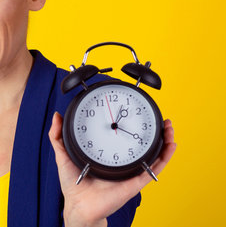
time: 1:19
